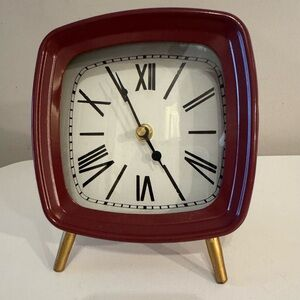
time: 4:54
